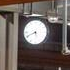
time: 5:41
